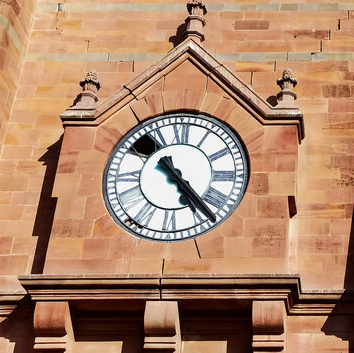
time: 10:23
